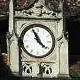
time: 11:21
